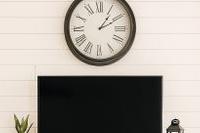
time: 1:10
